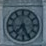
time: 7:25
